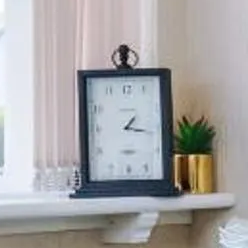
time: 1:16
